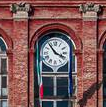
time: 3:53
